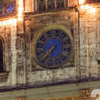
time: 7:36
